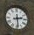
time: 2:29
